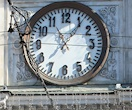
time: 11:06
